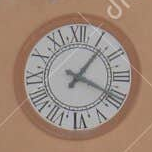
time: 1:19
